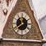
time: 12:38
